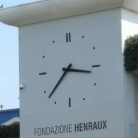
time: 3:37
